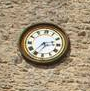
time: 2:36
